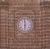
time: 5:59
